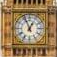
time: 12:56
